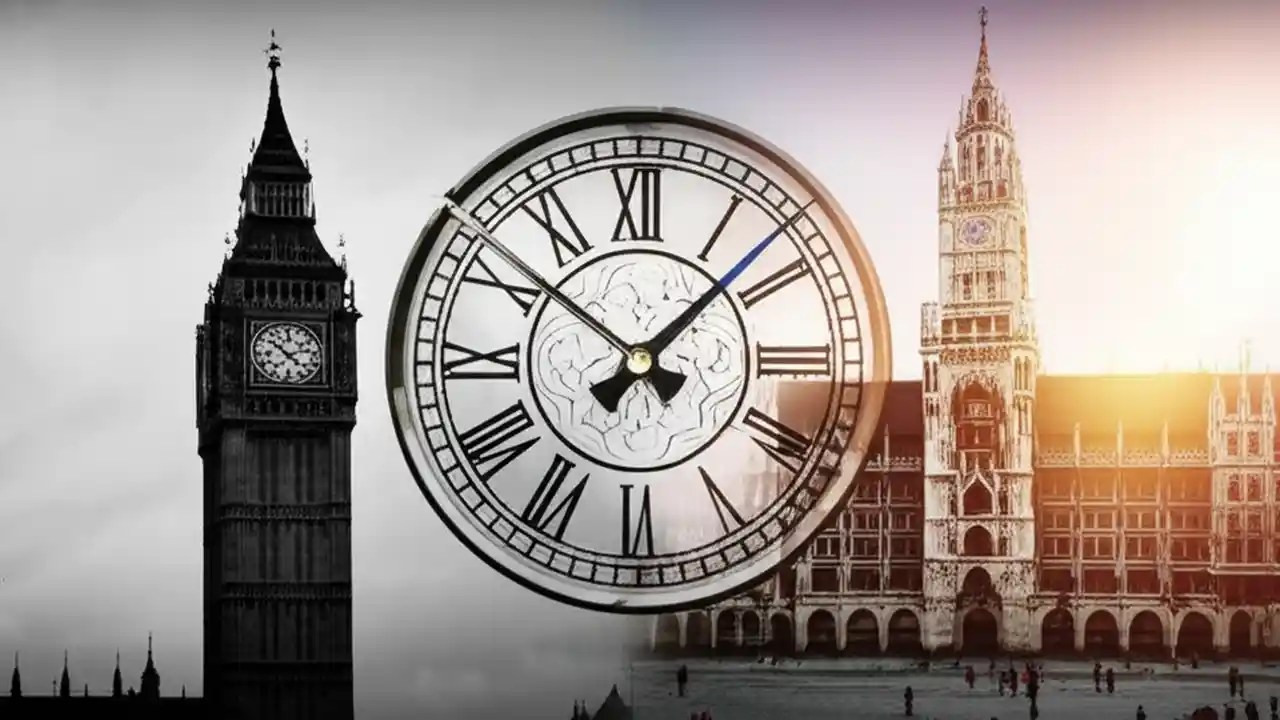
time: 10:07
